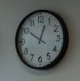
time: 10:03
